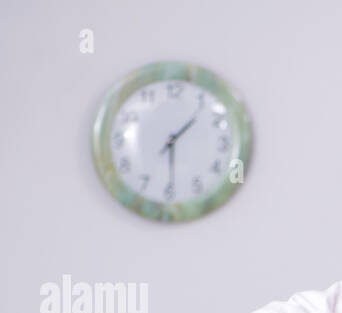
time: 1:29
